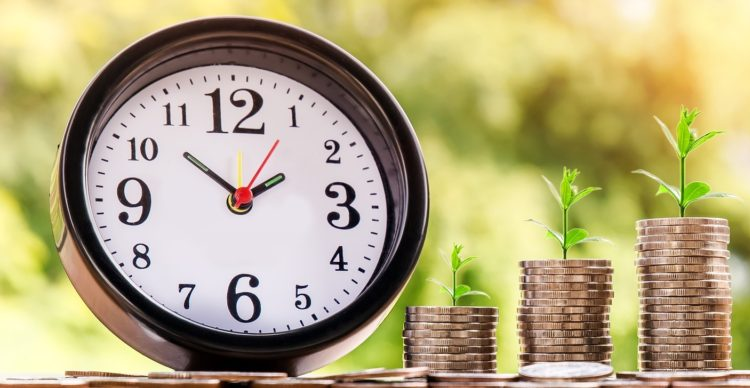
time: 1:51
